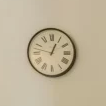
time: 12:47
